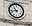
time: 10:42
